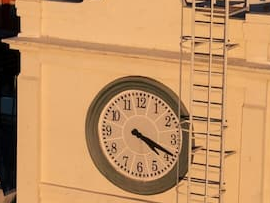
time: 4:19
